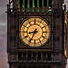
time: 8:34
